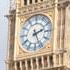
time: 2:26
